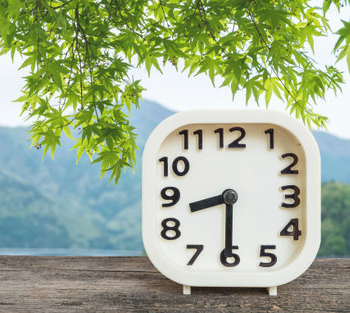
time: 8:30
